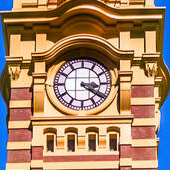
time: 3:20
